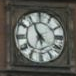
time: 6:55
